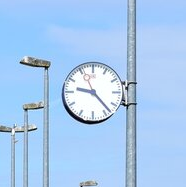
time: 9:23
